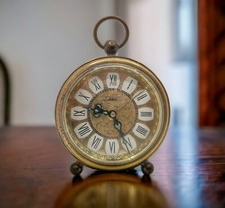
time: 9:25
